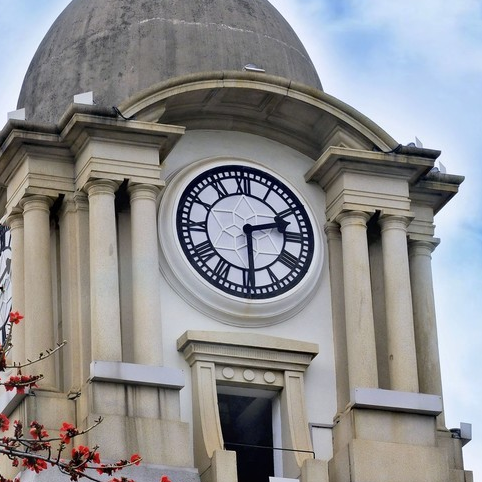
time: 2:29
